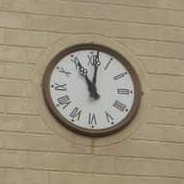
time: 11:01
